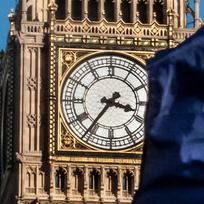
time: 3:36
